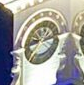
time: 8:12
